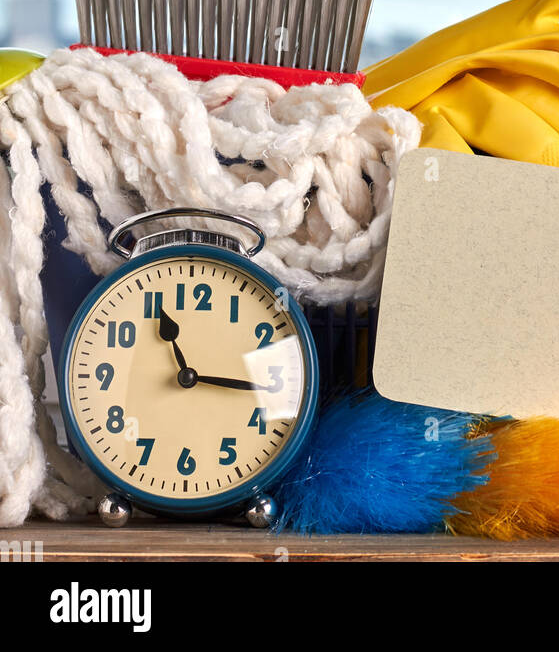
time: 11:16
